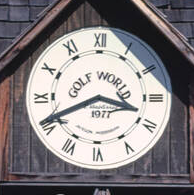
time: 3:40
